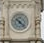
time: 10:22
